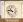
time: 10:45
